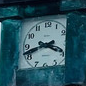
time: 3:42
